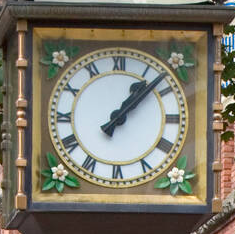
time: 1:07
